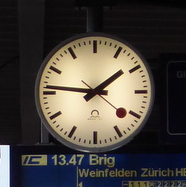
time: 1:46
